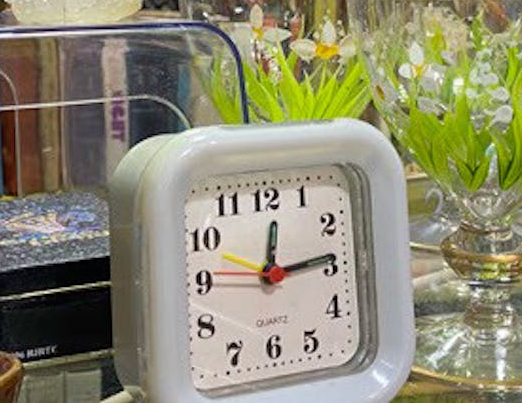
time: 12:13
